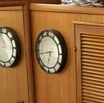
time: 6:43
